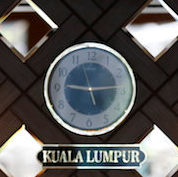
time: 9:14
